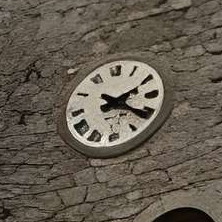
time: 2:21
